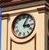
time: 3:04
